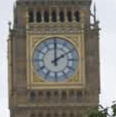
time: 2:00
